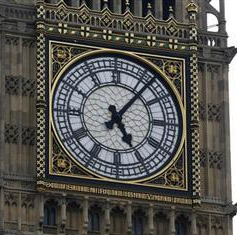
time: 5:06
